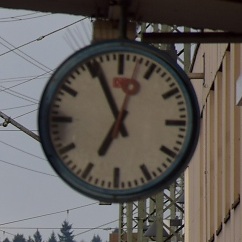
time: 6:55
